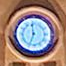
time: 6:59
